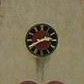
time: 2:40
